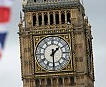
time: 1:30
